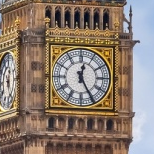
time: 12:25
